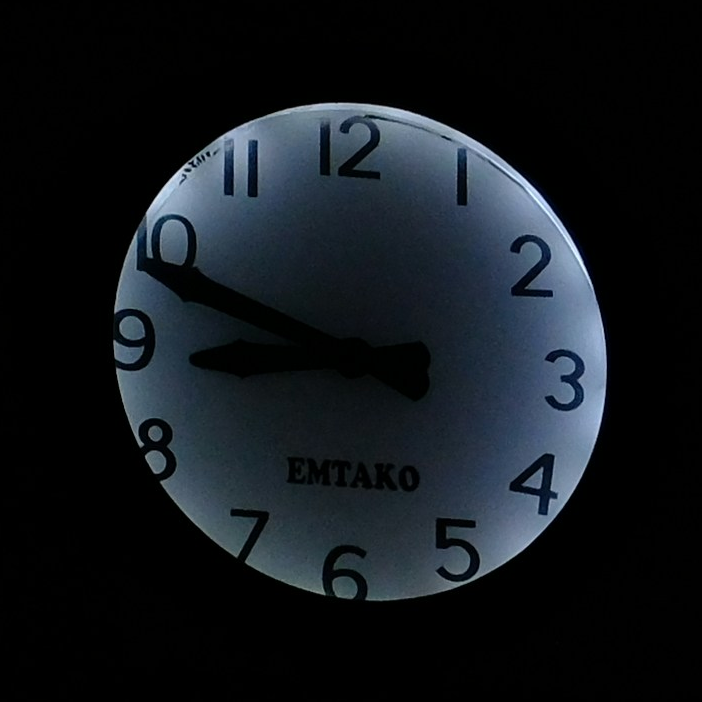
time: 8:48
